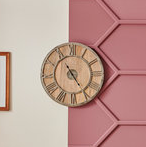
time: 4:54
